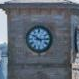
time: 10:14
